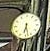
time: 6:27
